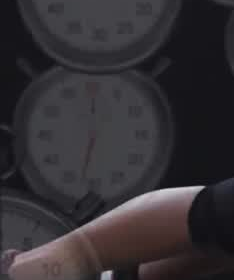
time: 12:32
